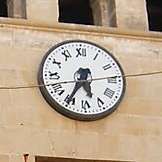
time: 5:35
